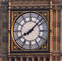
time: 8:07
